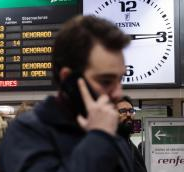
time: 8:14
